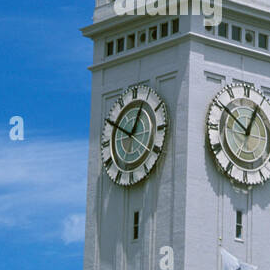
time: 12:50
